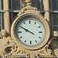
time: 9:50
